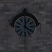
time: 12:20
